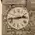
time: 2:42
